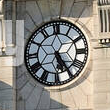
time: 5:24
